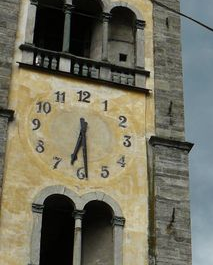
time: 6:29
